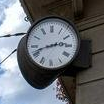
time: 2:42
